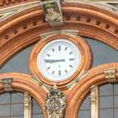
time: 8:45
